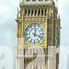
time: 12:18
